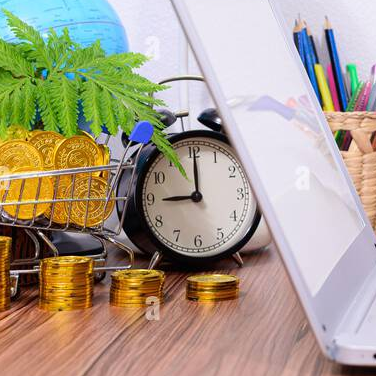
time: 9:00
